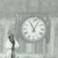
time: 11:04
